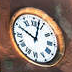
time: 10:02
